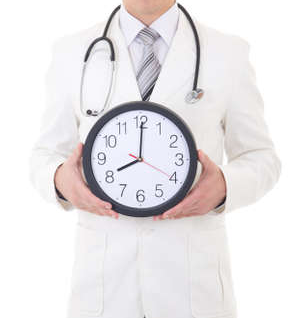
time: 8:00
